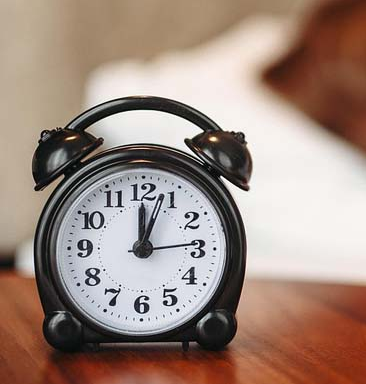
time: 12:03
